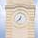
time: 12:37
